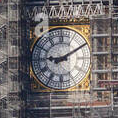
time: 9:10
